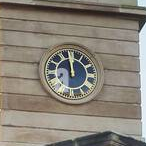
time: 11:58
